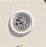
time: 10:42
